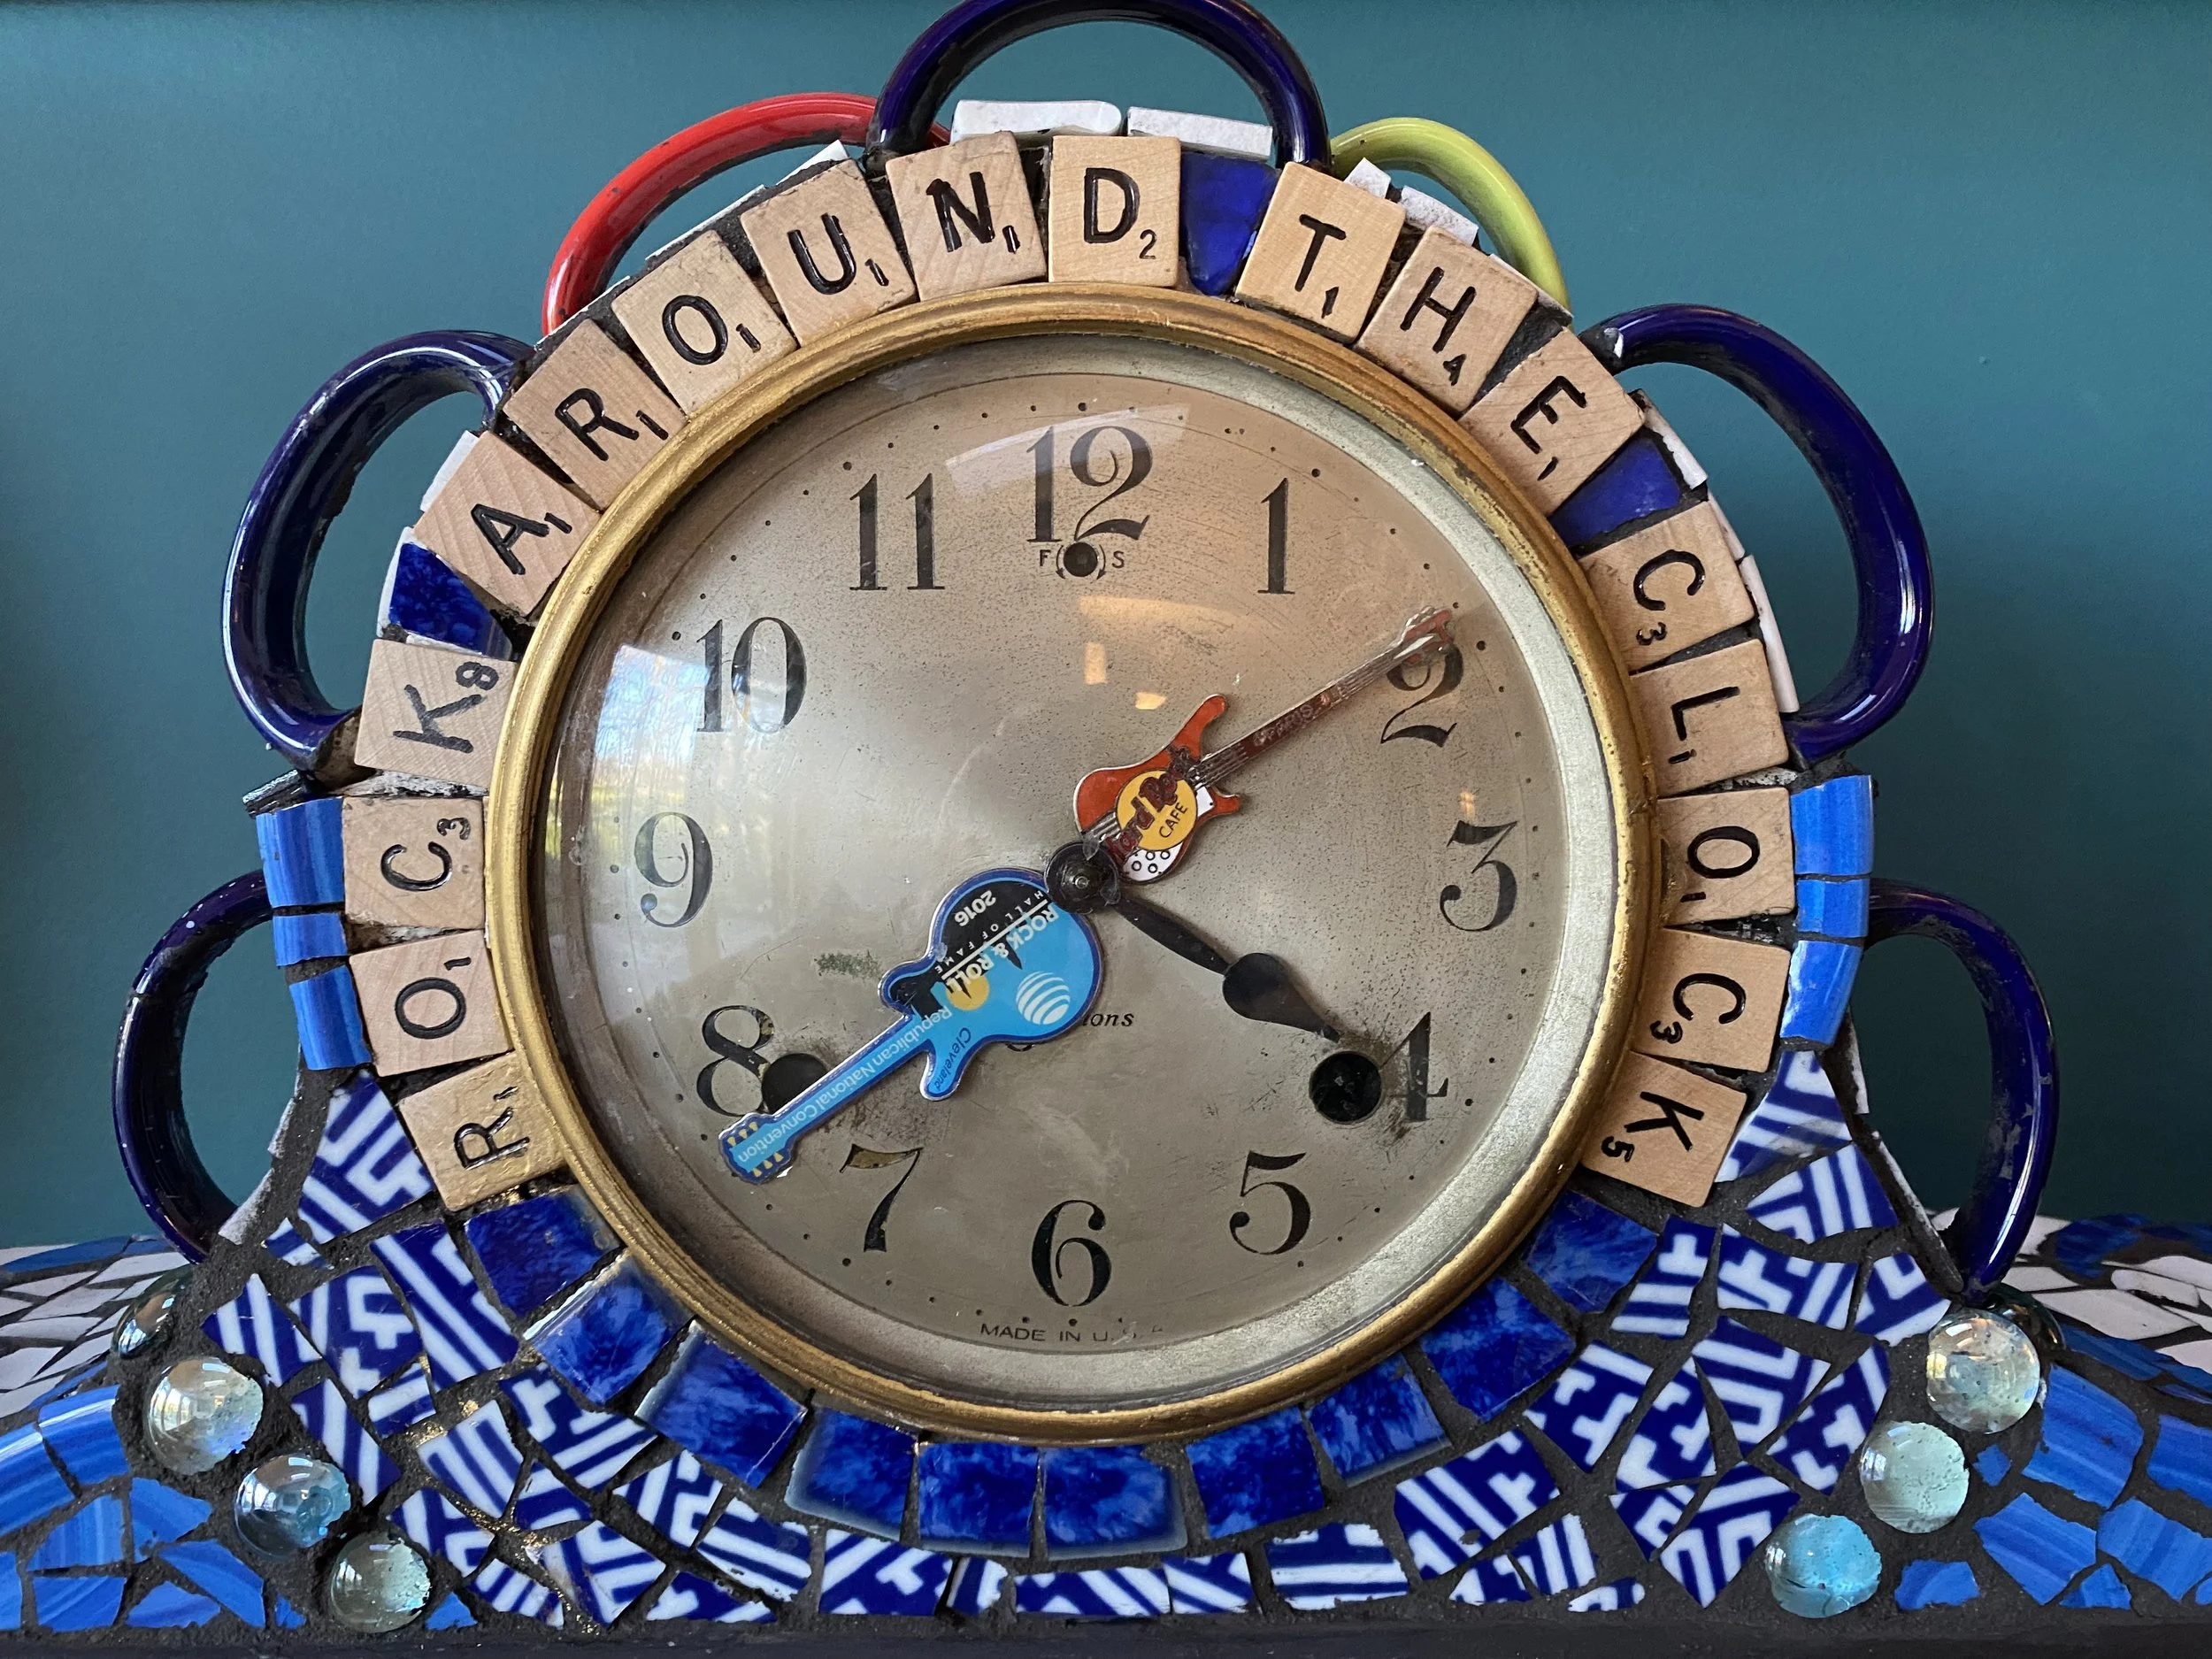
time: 4:09
